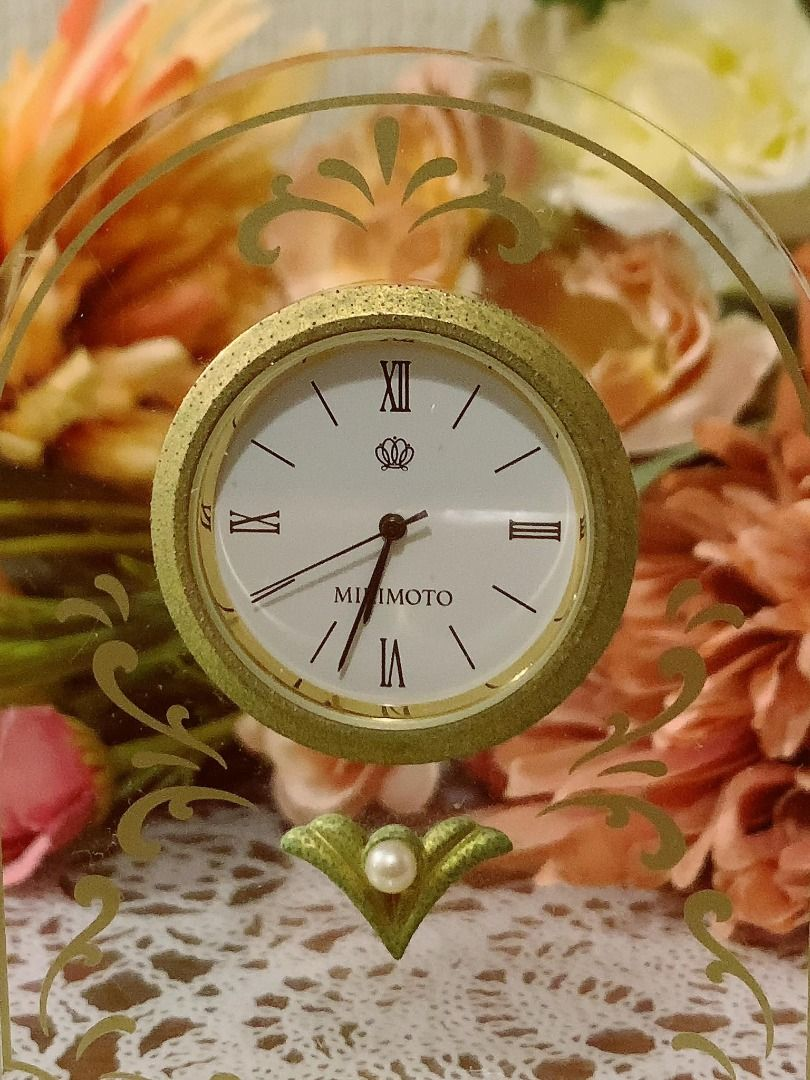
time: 6:33
